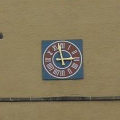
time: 2:58
